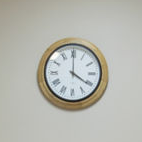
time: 4:00
